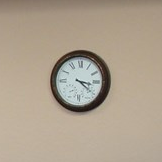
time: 3:21
